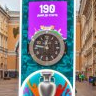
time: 11:46
